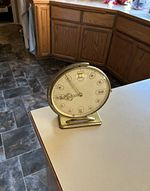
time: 8:54
